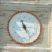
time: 11:24
